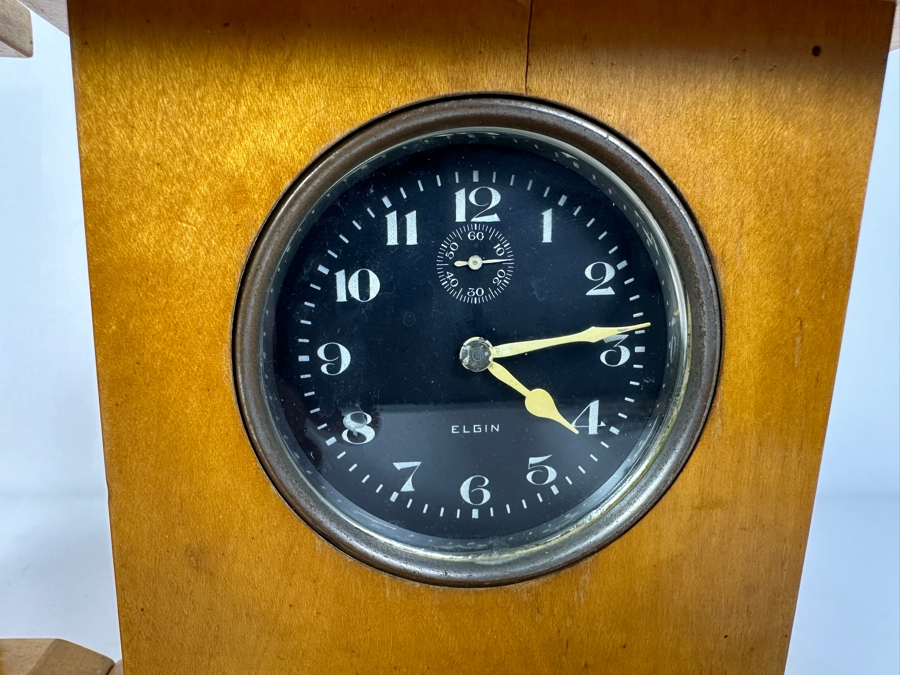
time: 4:13
